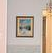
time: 3:43
